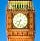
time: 8:33
